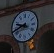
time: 9:42
